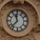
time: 11:37
